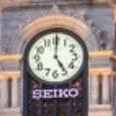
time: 5:00
